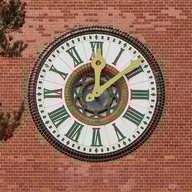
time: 12:08
